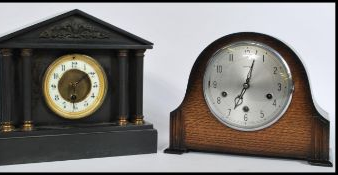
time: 7:02
